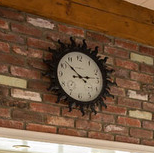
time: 2:52
